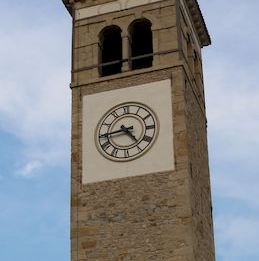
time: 4:44
